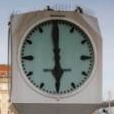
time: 5:59
